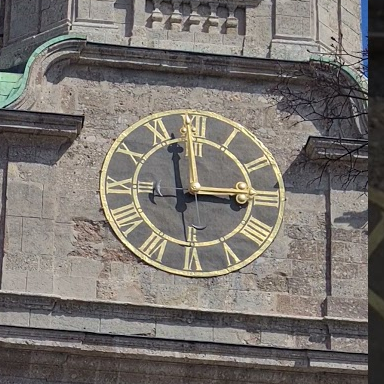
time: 2:58
